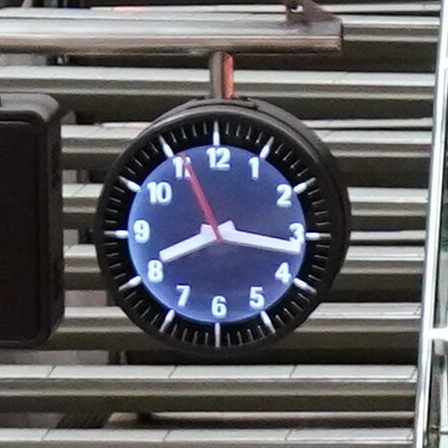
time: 8:16
